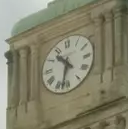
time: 10:32
